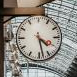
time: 4:28
